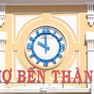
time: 9:59
